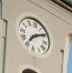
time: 7:09
